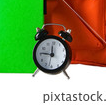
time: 11:46
